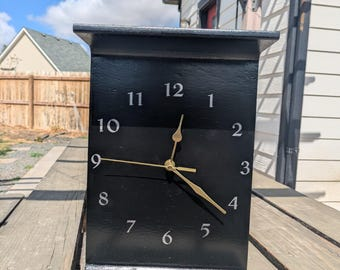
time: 12:21
